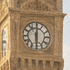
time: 6:00
